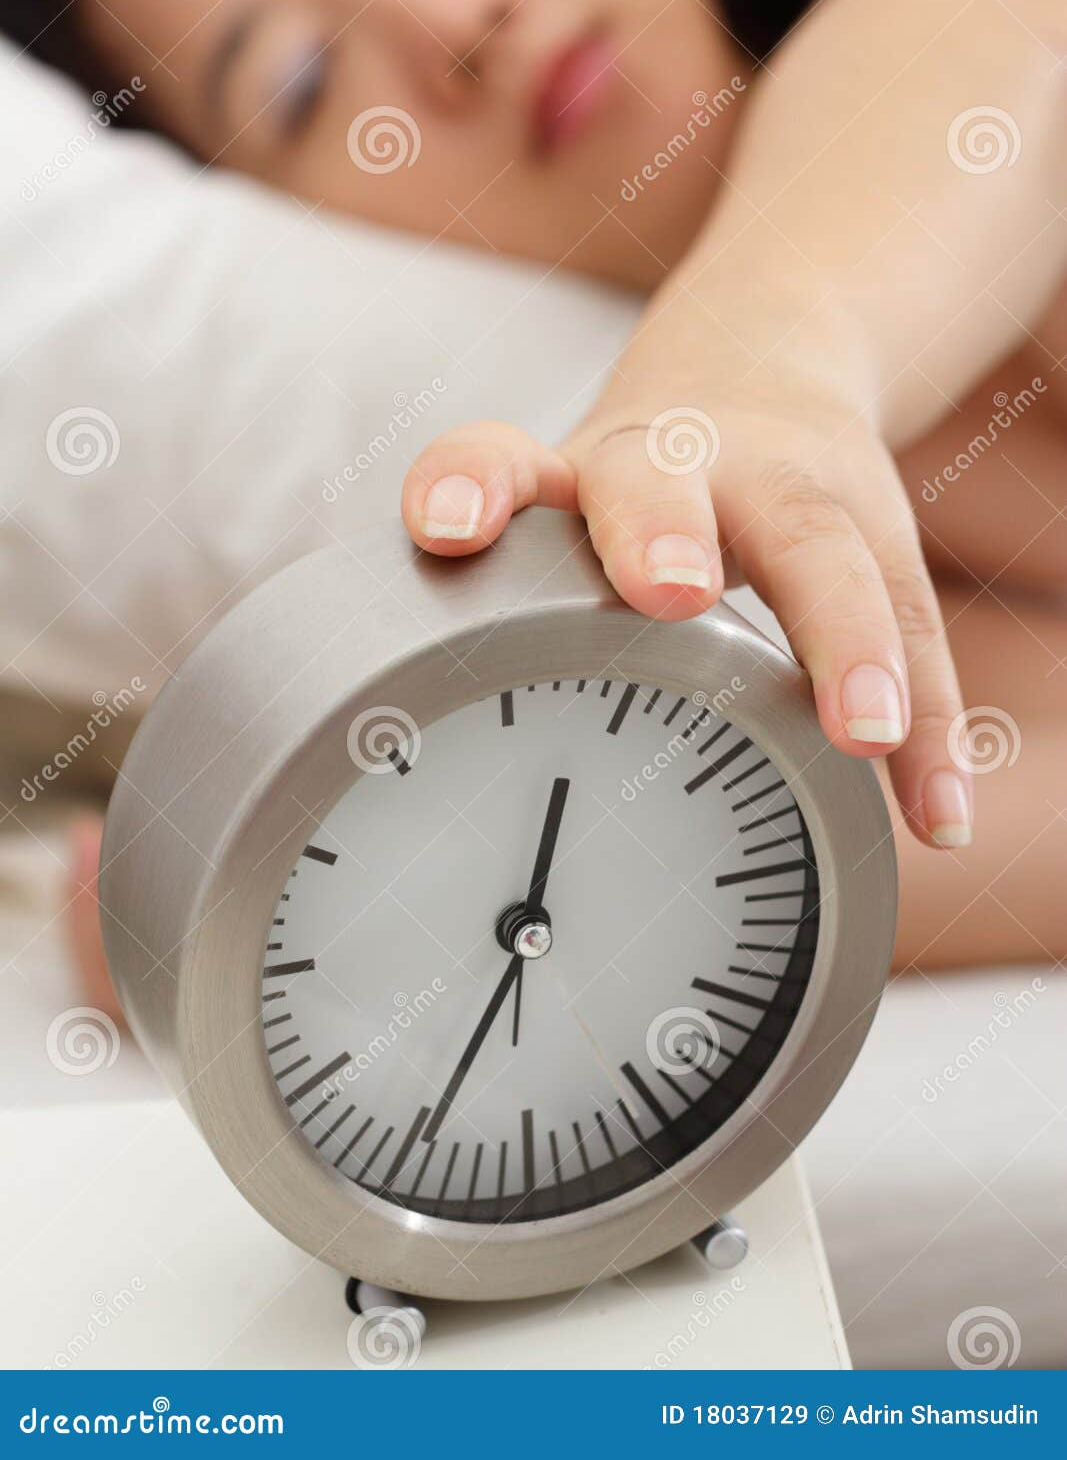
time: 12:34
